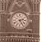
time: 2:24
